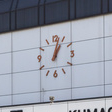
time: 1:02
